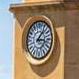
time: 3:06
